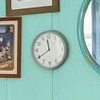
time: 11:39
